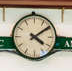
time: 4:09
